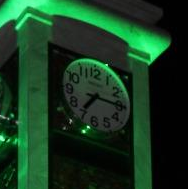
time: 7:15
